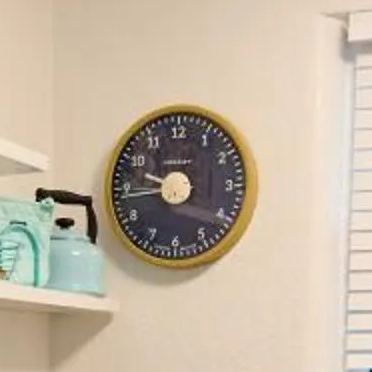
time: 9:43
